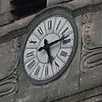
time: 5:13
